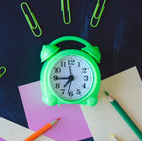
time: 7:44
